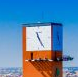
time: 11:25
